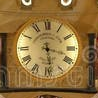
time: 3:28
